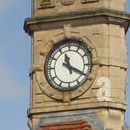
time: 11:19
